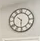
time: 10:30
